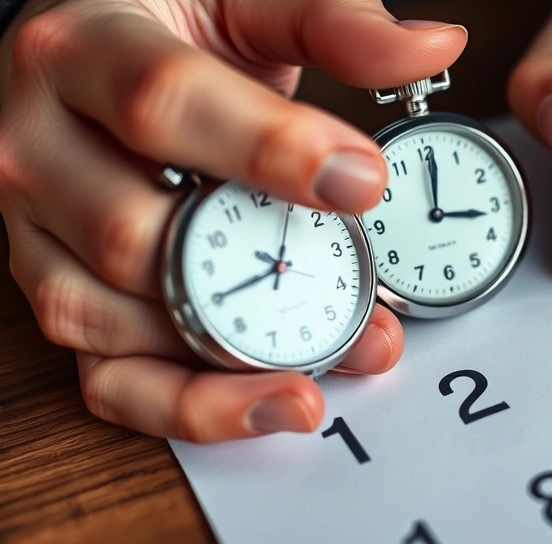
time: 9:05
